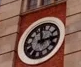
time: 2:58
